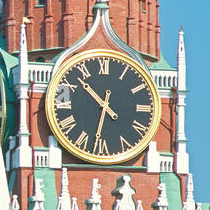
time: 10:32
